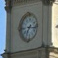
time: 7:15
